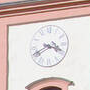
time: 3:40
